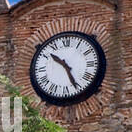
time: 10:26
